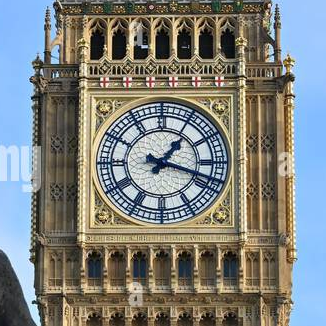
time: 1:18
